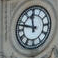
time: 11:47
